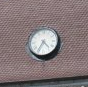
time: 4:35
